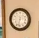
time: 6:32
